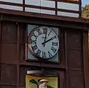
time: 2:01
